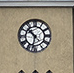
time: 10:32
